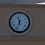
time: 11:33
